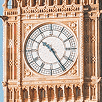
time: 10:24
